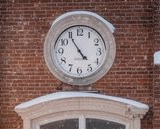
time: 4:54
